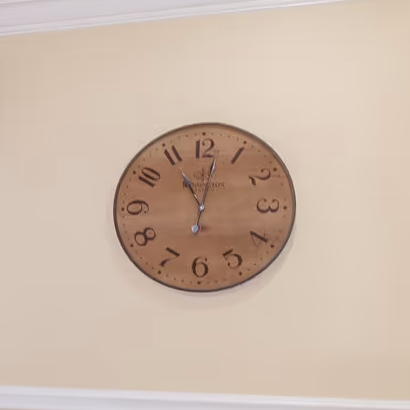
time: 11:01
